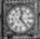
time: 12:23
